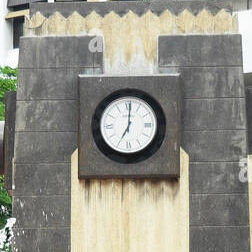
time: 7:00
